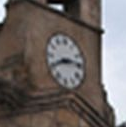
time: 2:40
